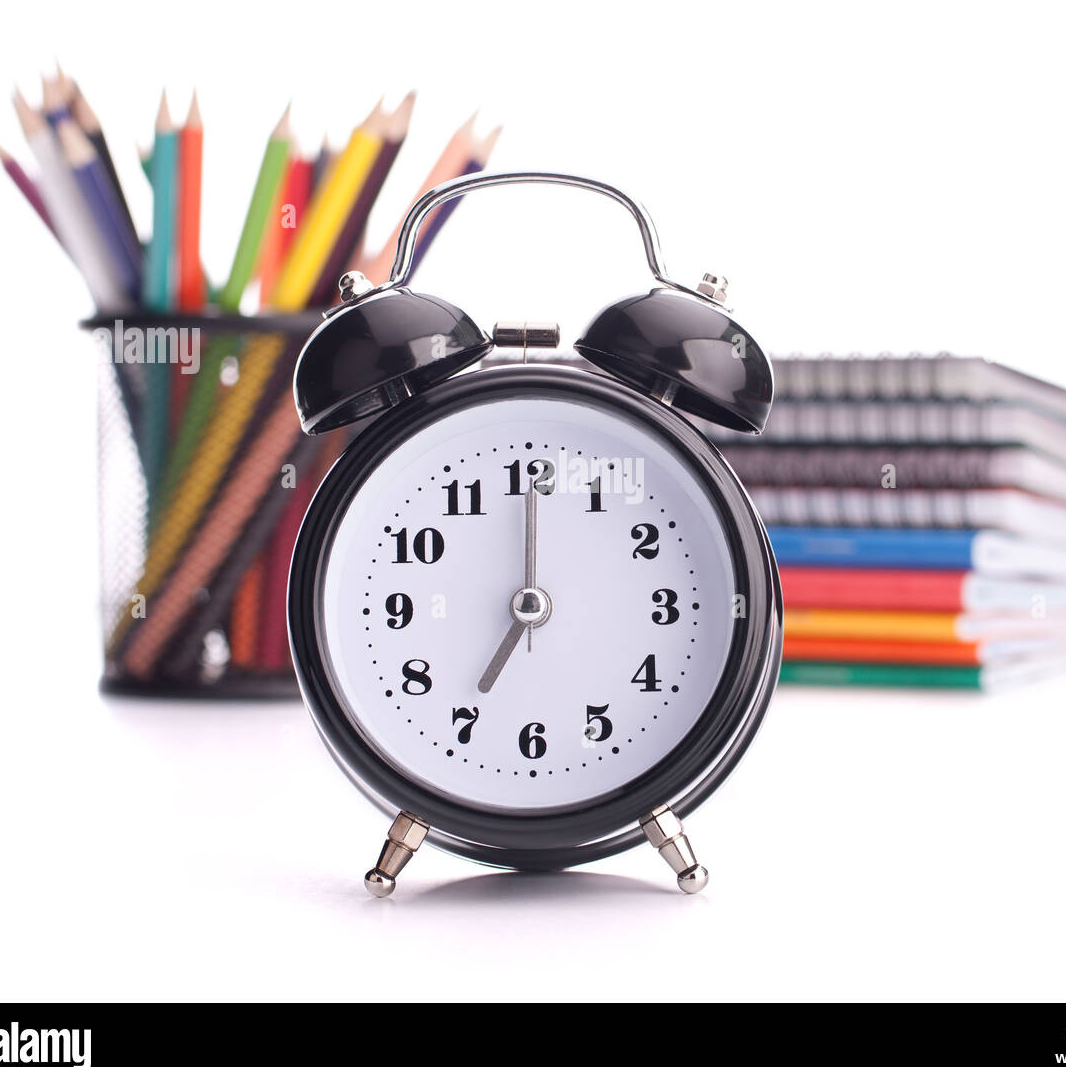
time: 7:00
